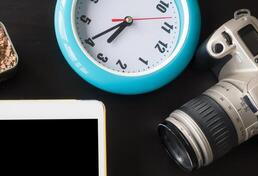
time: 7:40
